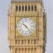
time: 10:23
